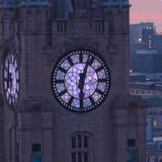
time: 6:03
